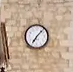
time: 7:07
